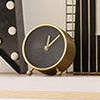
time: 12:07
